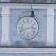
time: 2:42
